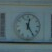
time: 12:24
